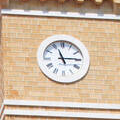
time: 11:14
